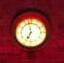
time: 6:58
